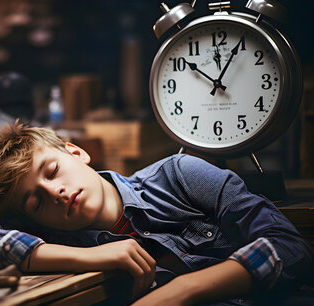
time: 10:04
